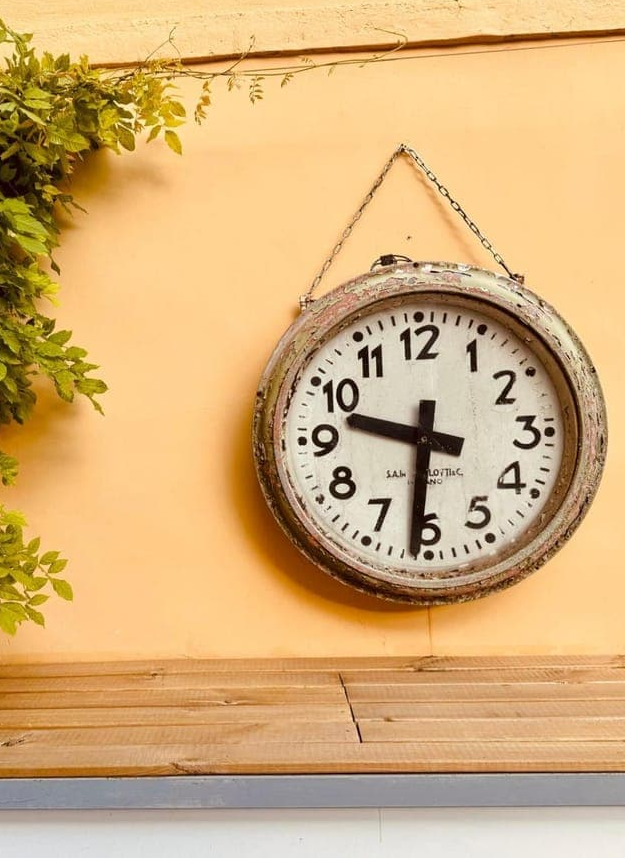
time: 9:31
